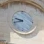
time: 9:42
